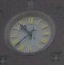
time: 10:38
